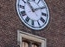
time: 1:52
